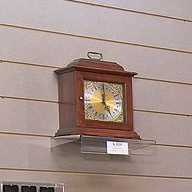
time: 5:00
